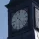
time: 10:31
